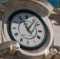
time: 11:06
